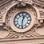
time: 12:30
